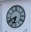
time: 6:41
